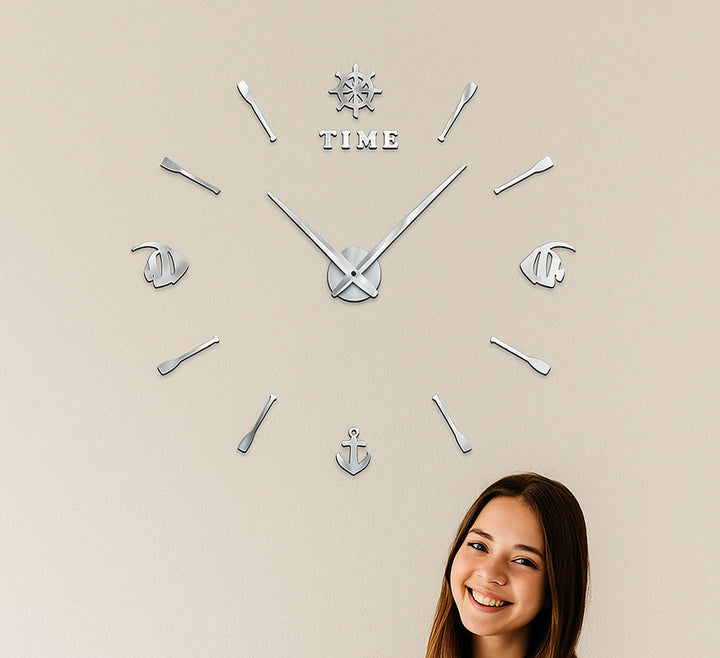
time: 10:07
